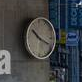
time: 10:19
